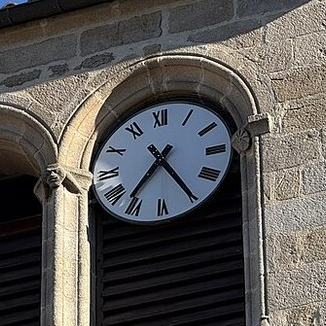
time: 7:24
